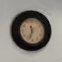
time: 11:33
